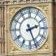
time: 2:26
